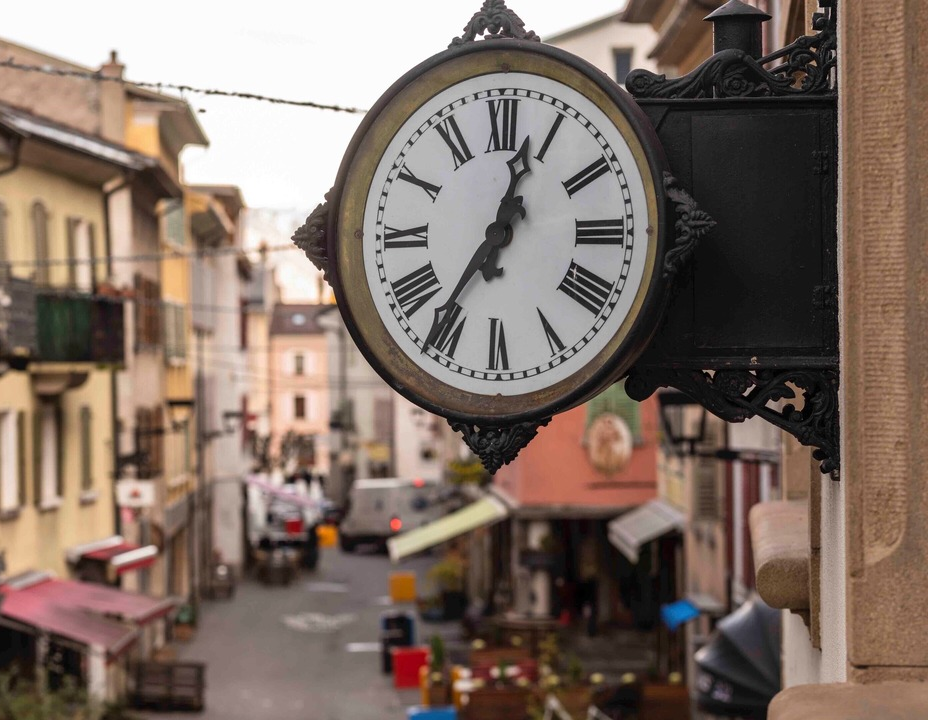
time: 12:36
